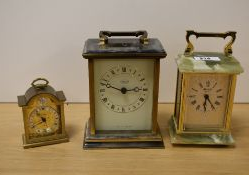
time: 2:48
